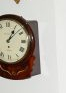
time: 1:08
